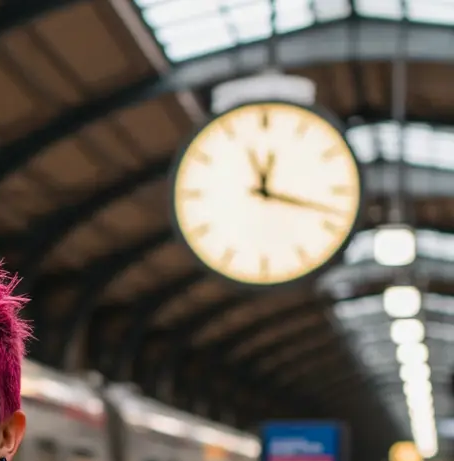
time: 12:18
